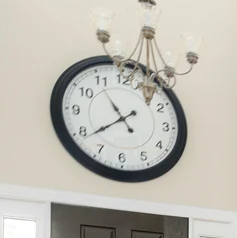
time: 10:38
